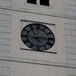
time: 5:15
